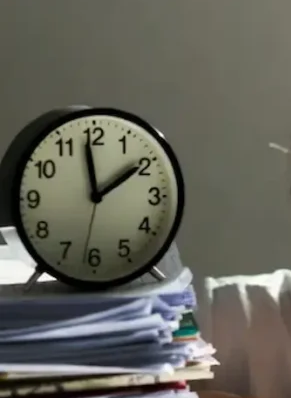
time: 1:58
